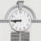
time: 8:45
